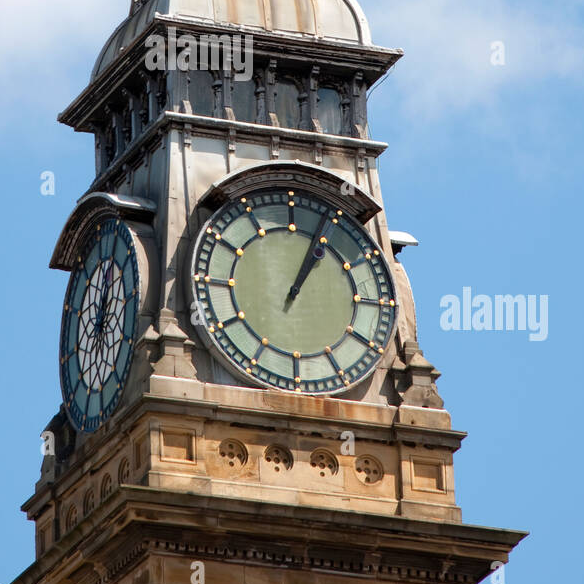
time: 1:04
